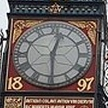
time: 12:29
